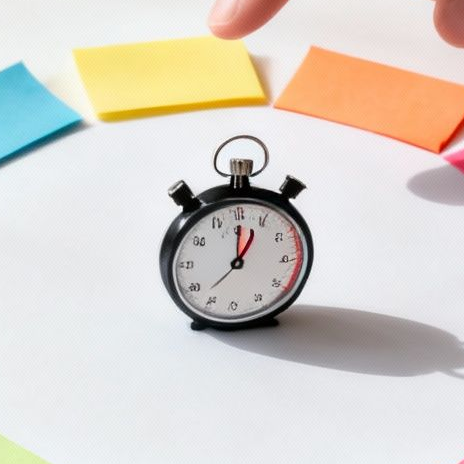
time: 1:00
